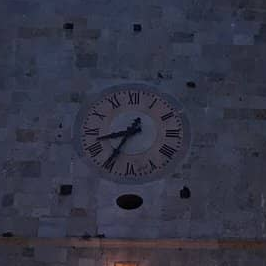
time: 8:35
